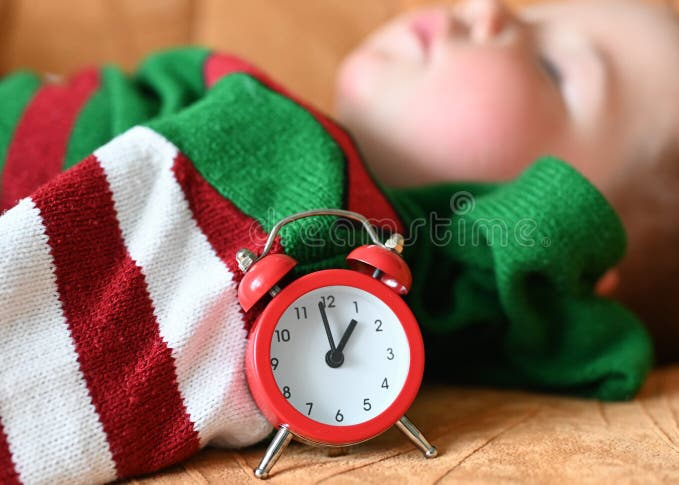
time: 12:58
